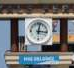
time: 3:01
